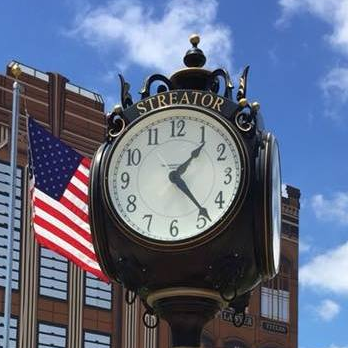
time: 1:23
